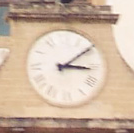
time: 3:09
